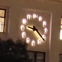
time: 9:22
